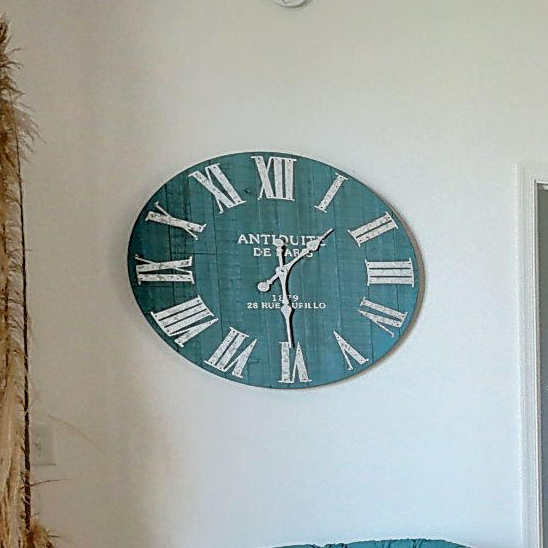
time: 1:29
